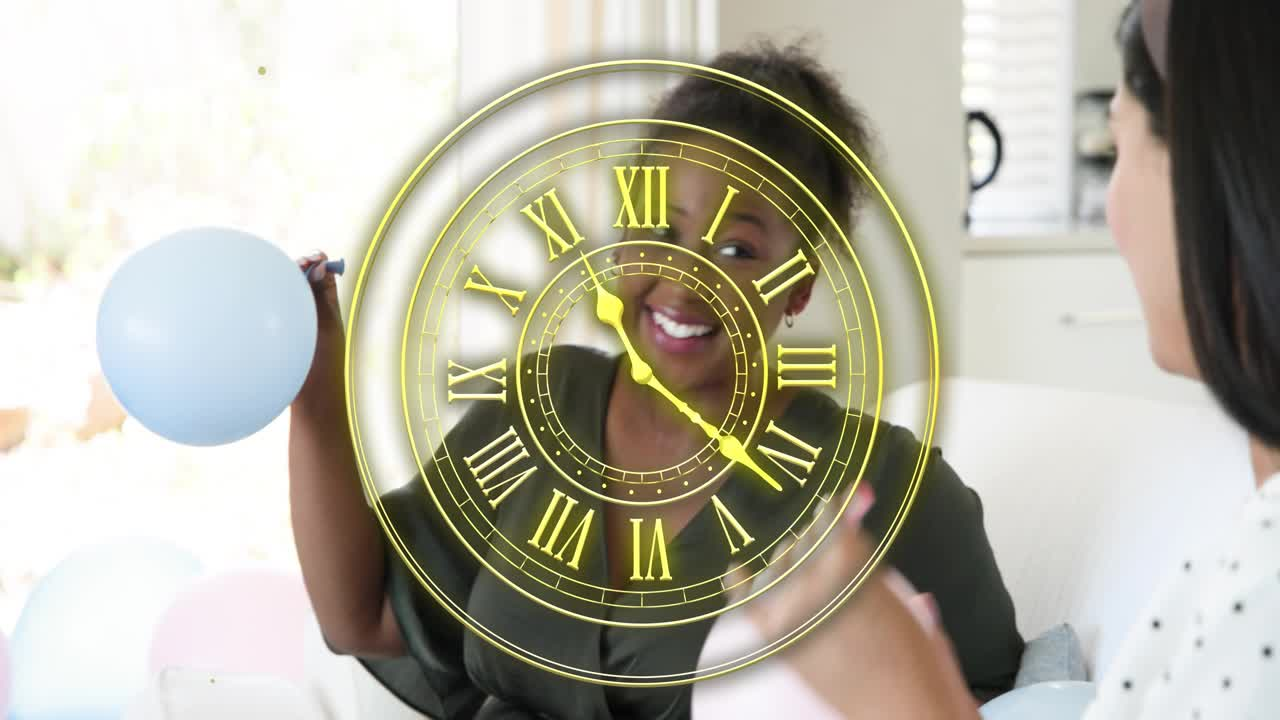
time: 11:21
